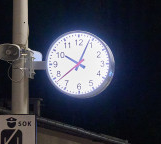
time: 10:03
